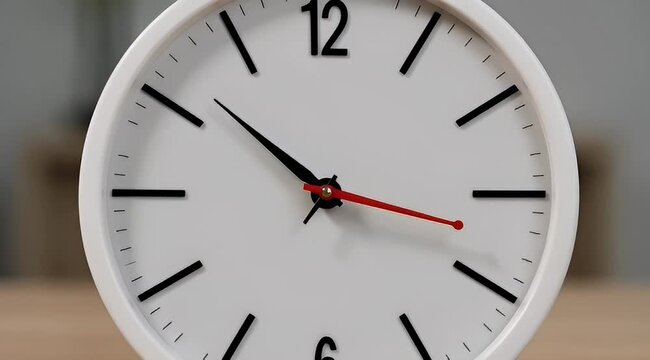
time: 10:17
